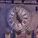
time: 4:57
